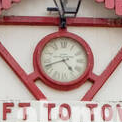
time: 4:42
